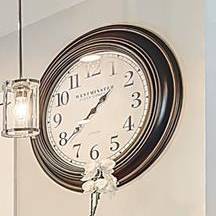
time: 1:39
